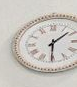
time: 1:30
